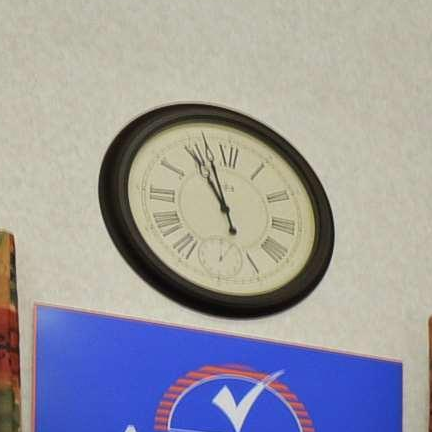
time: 10:56
